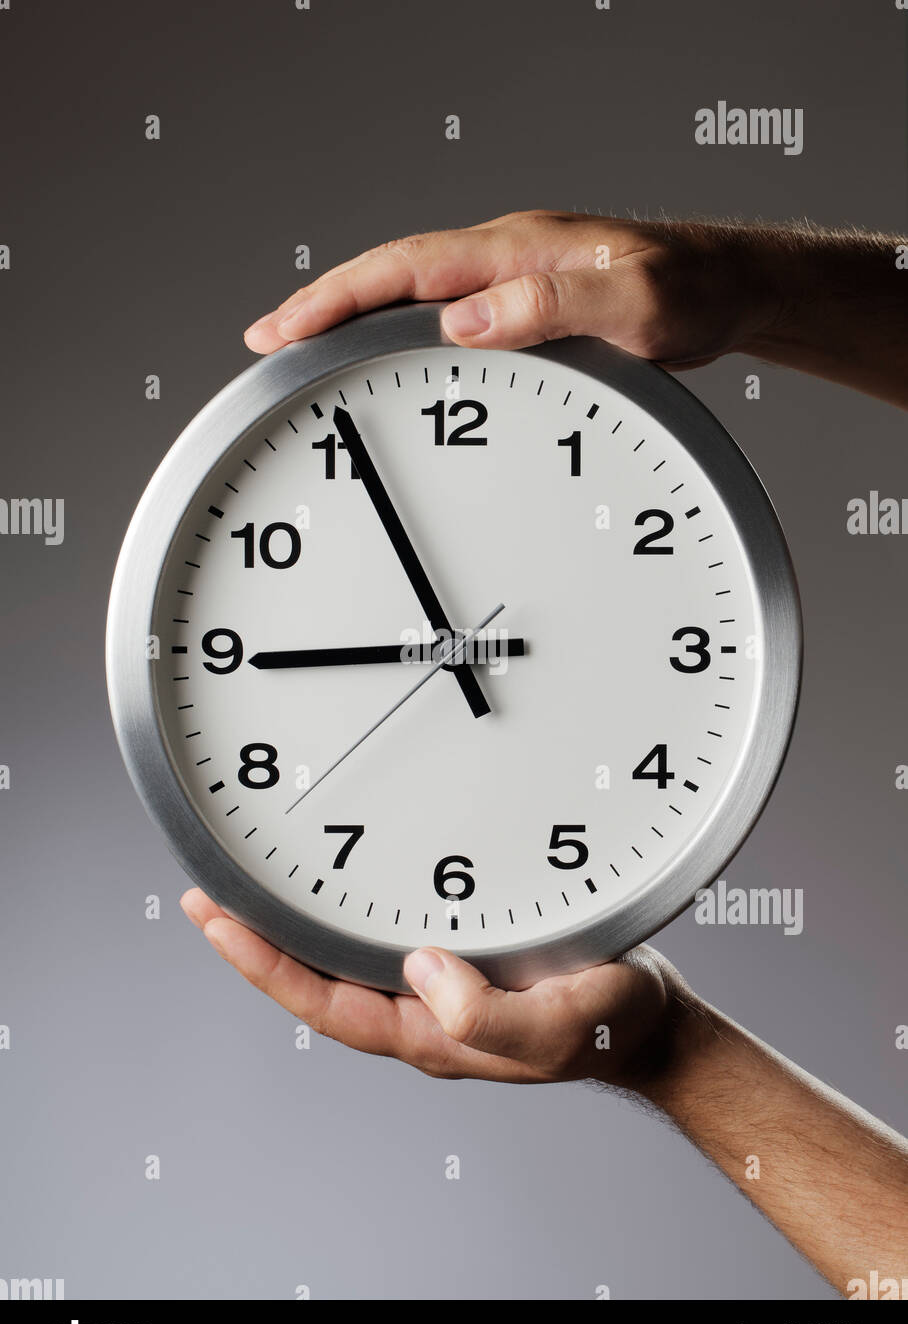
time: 8:55
